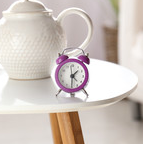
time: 1:30
